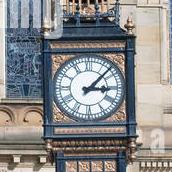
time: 3:07
